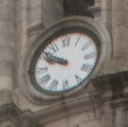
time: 9:51
